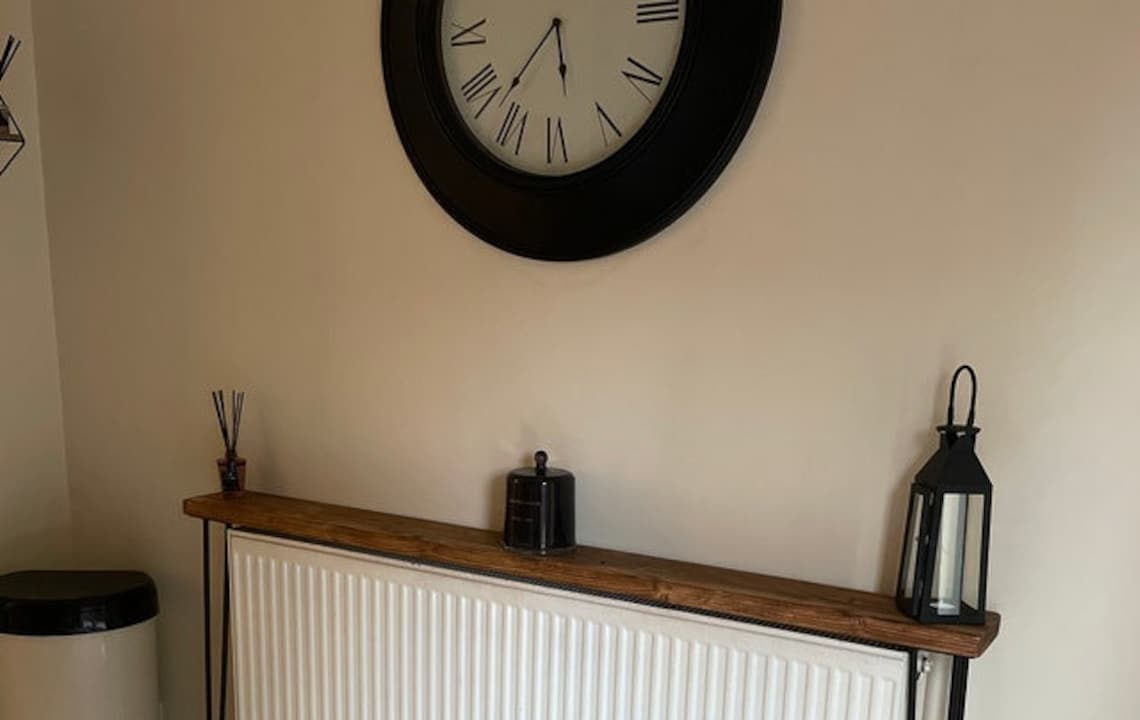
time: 5:36
